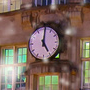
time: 5:00
